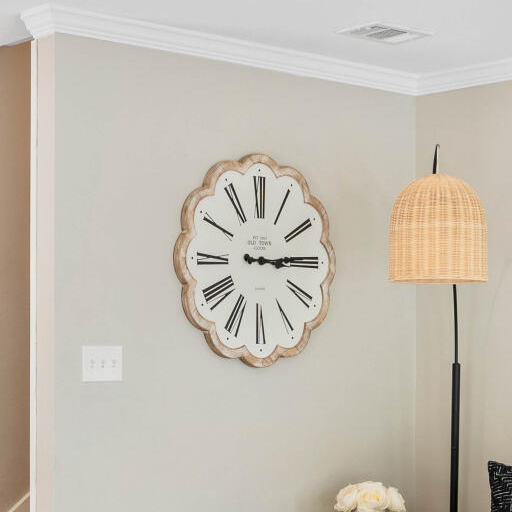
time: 3:14
